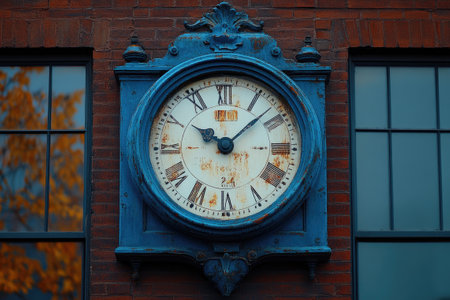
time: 10:07
